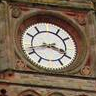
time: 3:42
